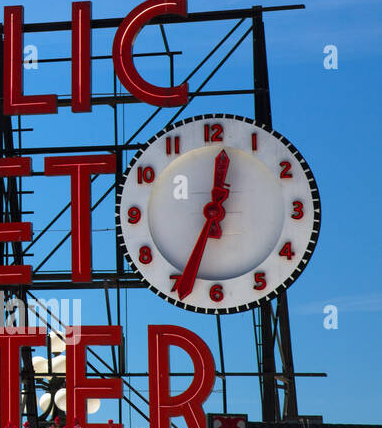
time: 12:34
